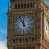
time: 11:55
